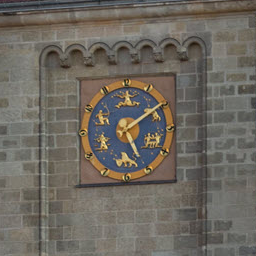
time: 5:09
